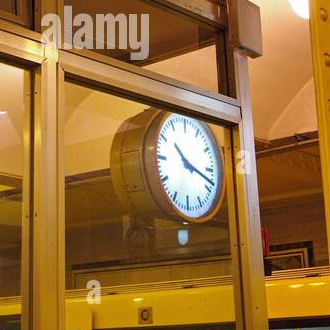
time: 10:17
